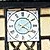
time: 4:09
